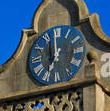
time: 6:59
